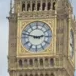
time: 2:47
